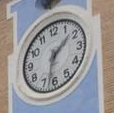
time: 1:32
